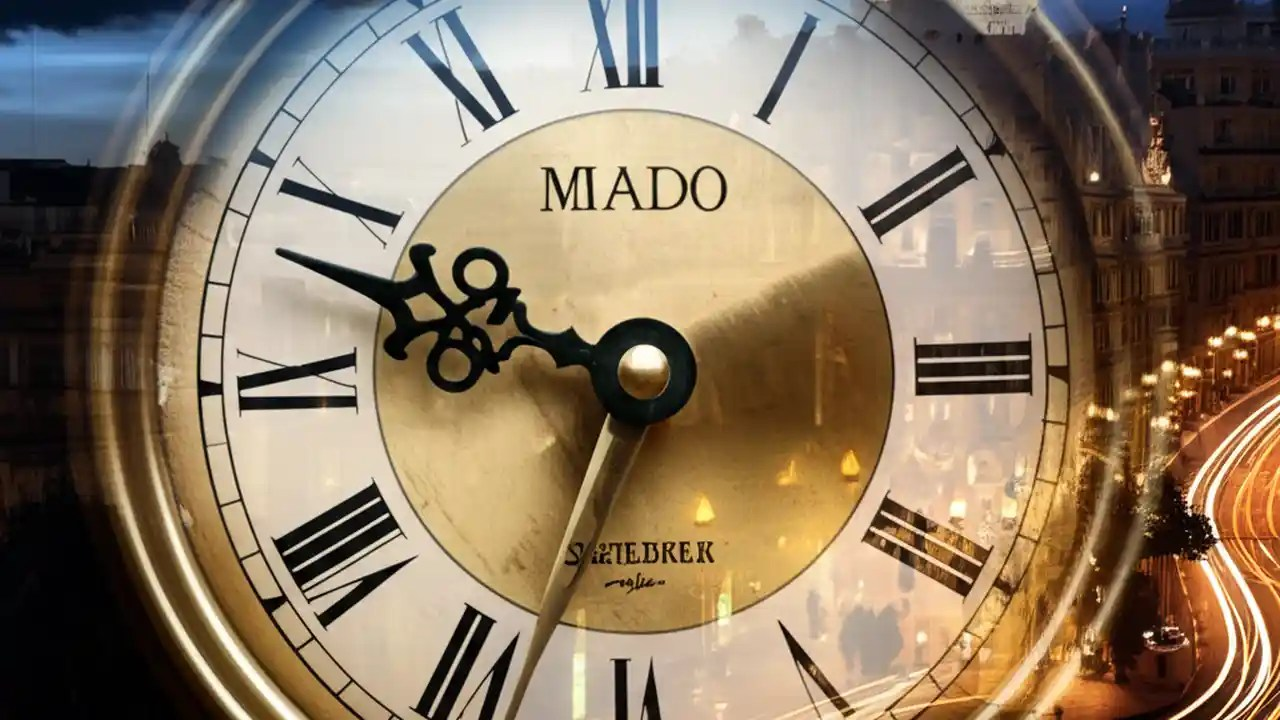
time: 9:33
